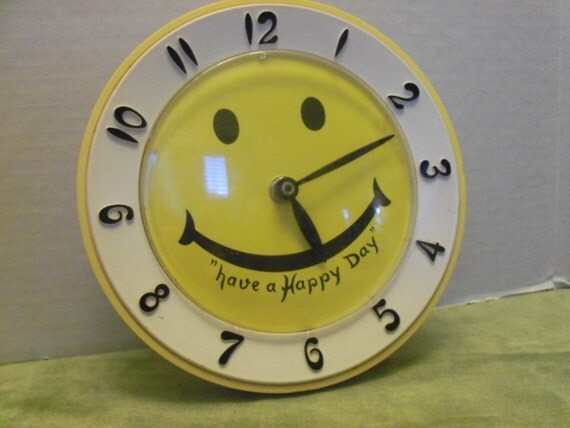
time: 5:11
